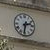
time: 2:31
